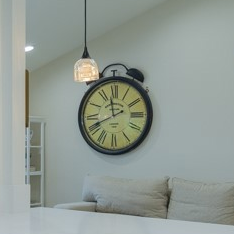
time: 11:40
